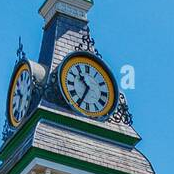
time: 10:34
